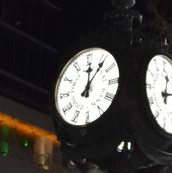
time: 12:06
